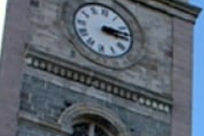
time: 3:12
